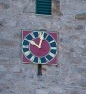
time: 10:02
